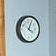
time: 4:04
